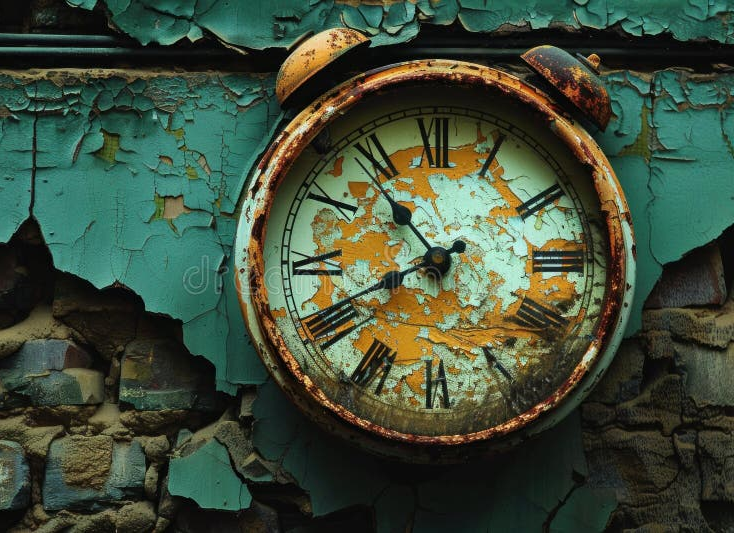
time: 10:41
